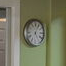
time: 5:04
